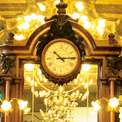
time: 10:14
